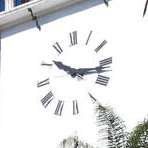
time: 10:16
